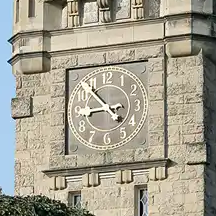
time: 8:53
